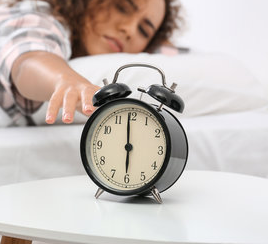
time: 5:59
